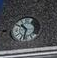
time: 10:32
